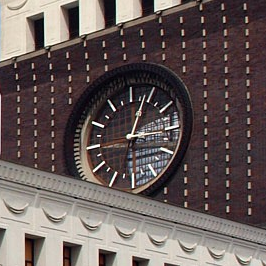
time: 3:03
